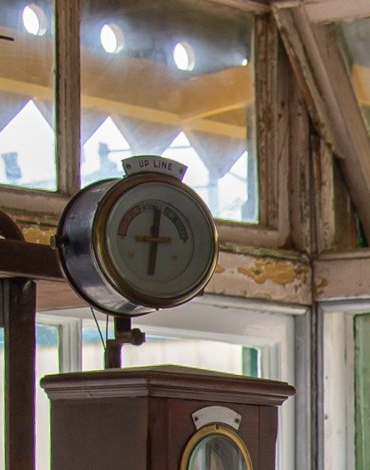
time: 12:32
